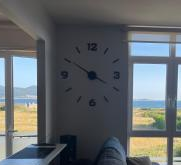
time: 3:50
